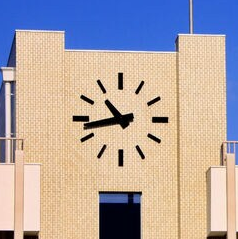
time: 10:43
